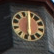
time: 6:00
